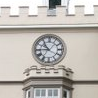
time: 10:44
